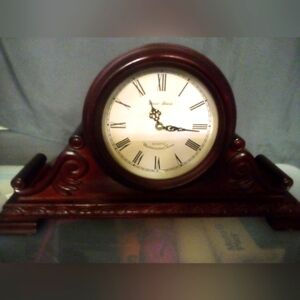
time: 11:16
